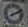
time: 2:11
